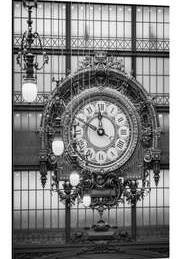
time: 11:48
